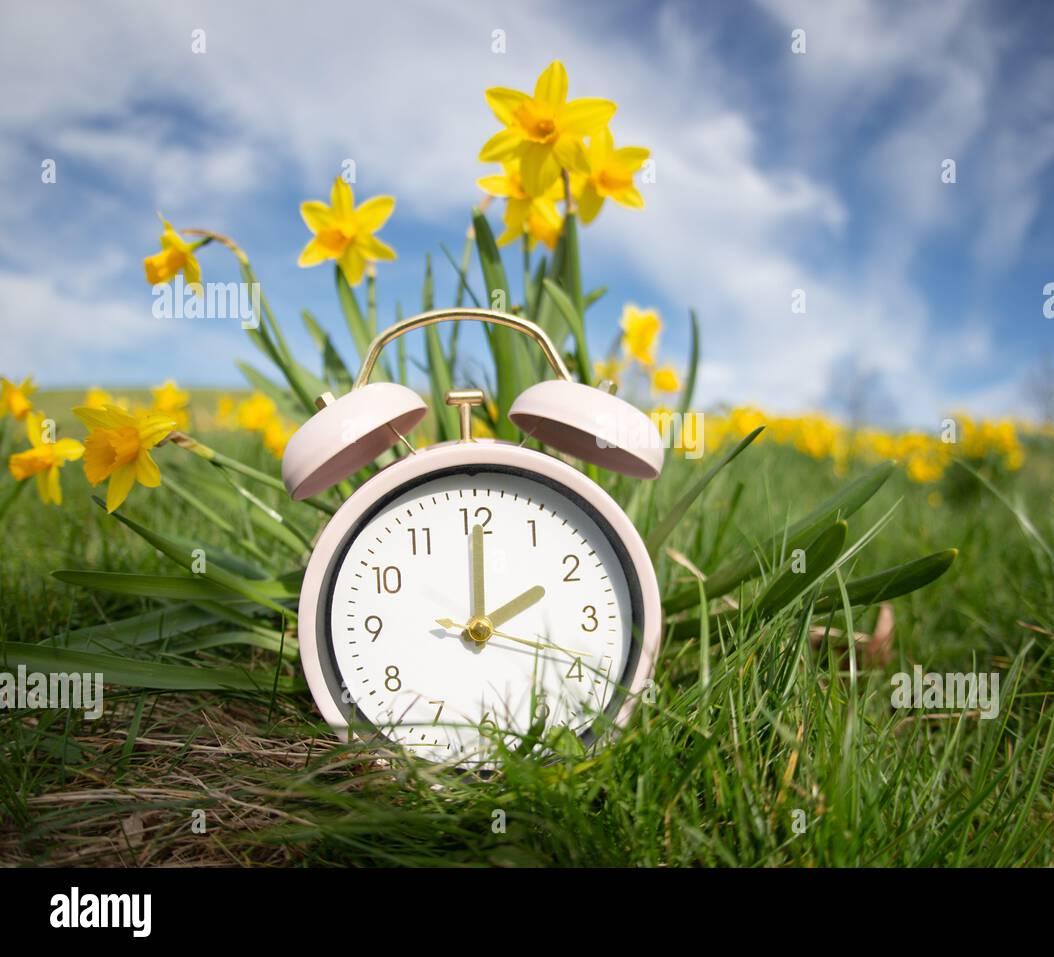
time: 2:00
